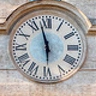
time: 5:57
